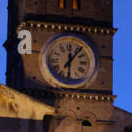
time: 12:06
